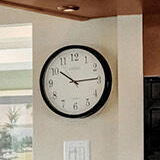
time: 10:14
